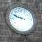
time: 9:48
